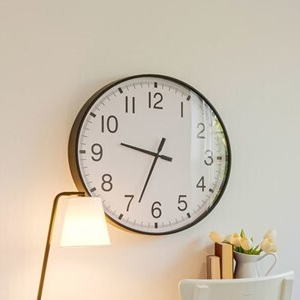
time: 9:33
